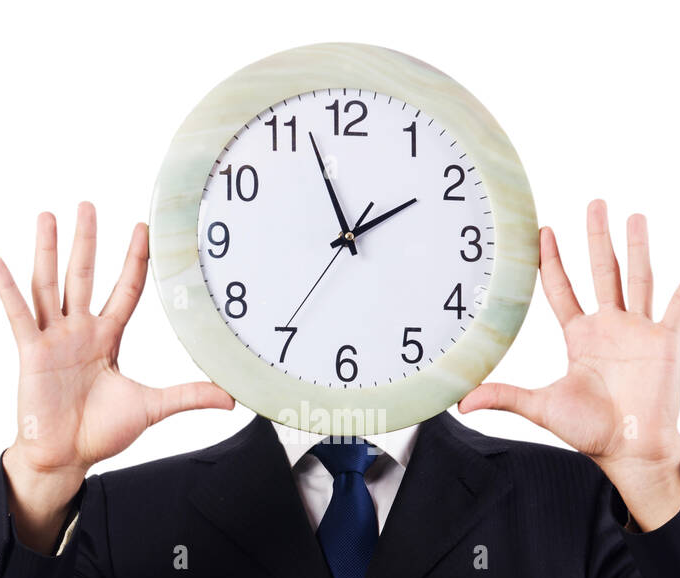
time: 1:56
